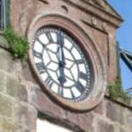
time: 5:59
